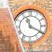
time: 11:19
